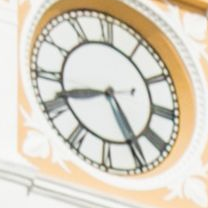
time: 8:24
